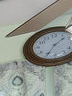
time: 1:34
